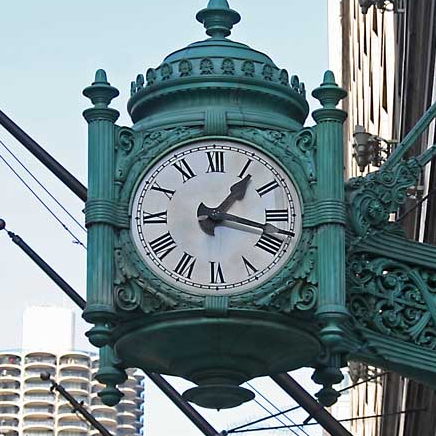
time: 1:17
